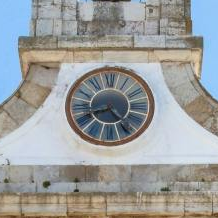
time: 8:22
